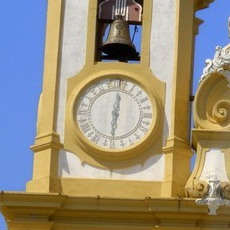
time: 6:01
